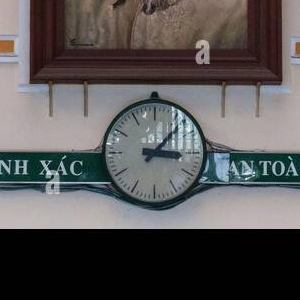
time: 3:07
